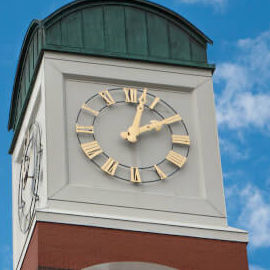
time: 2:02
